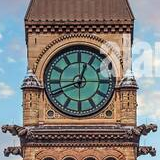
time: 12:41
